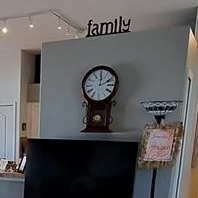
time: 2:00
